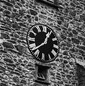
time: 12:38
